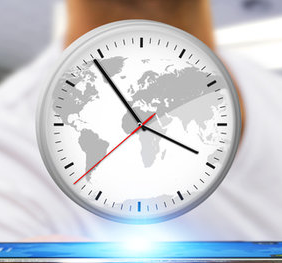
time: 3:54
